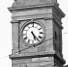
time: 5:23
